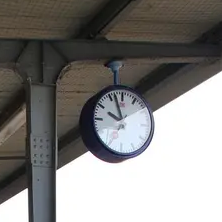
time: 9:57
